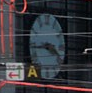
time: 3:43
